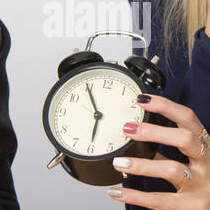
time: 5:55
